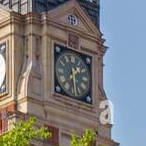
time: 1:28
